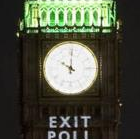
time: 10:00
